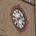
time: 1:11
